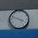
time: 3:48
